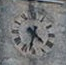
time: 4:32
